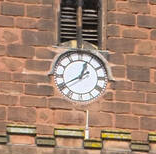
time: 12:40
